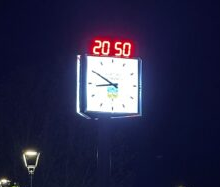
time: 8:50
